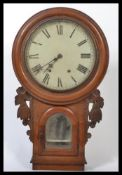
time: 7:35
